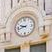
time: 9:42
